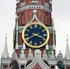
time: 3:40
